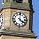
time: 4:01
